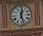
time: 12:27
